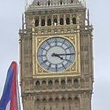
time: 4:14
